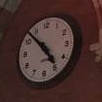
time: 4:52
